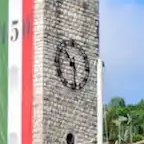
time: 10:28
